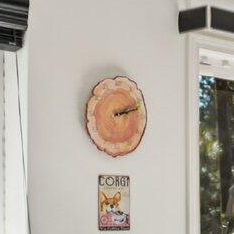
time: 2:12
